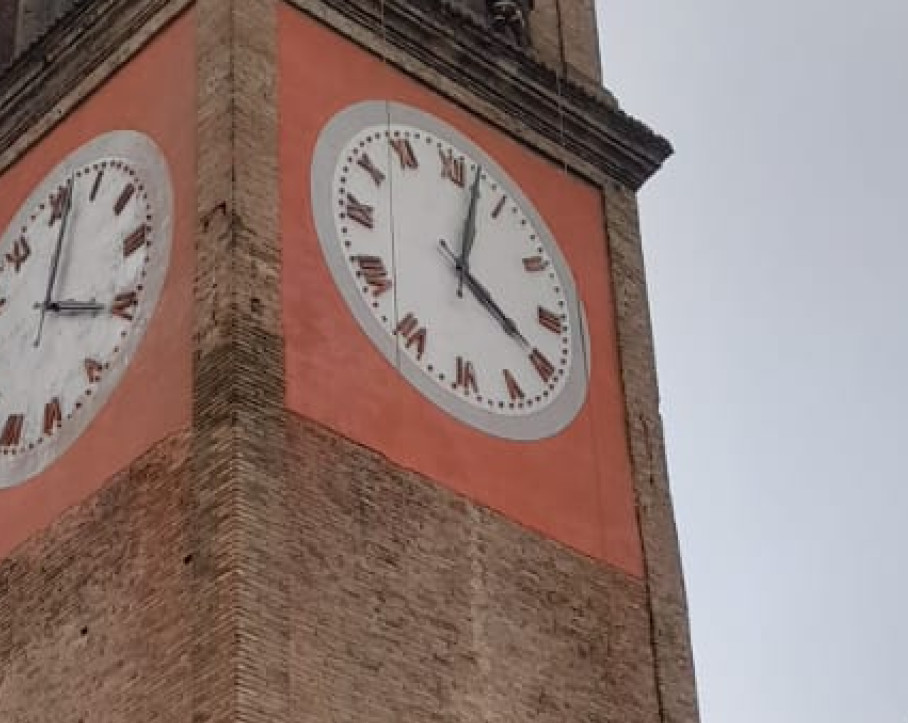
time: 4:02
